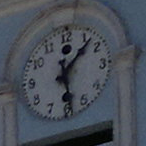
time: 1:28
